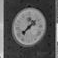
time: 1:37
